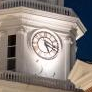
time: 5:18
